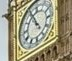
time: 4:55
